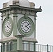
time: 4:09
